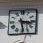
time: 3:28
